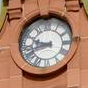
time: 9:42
